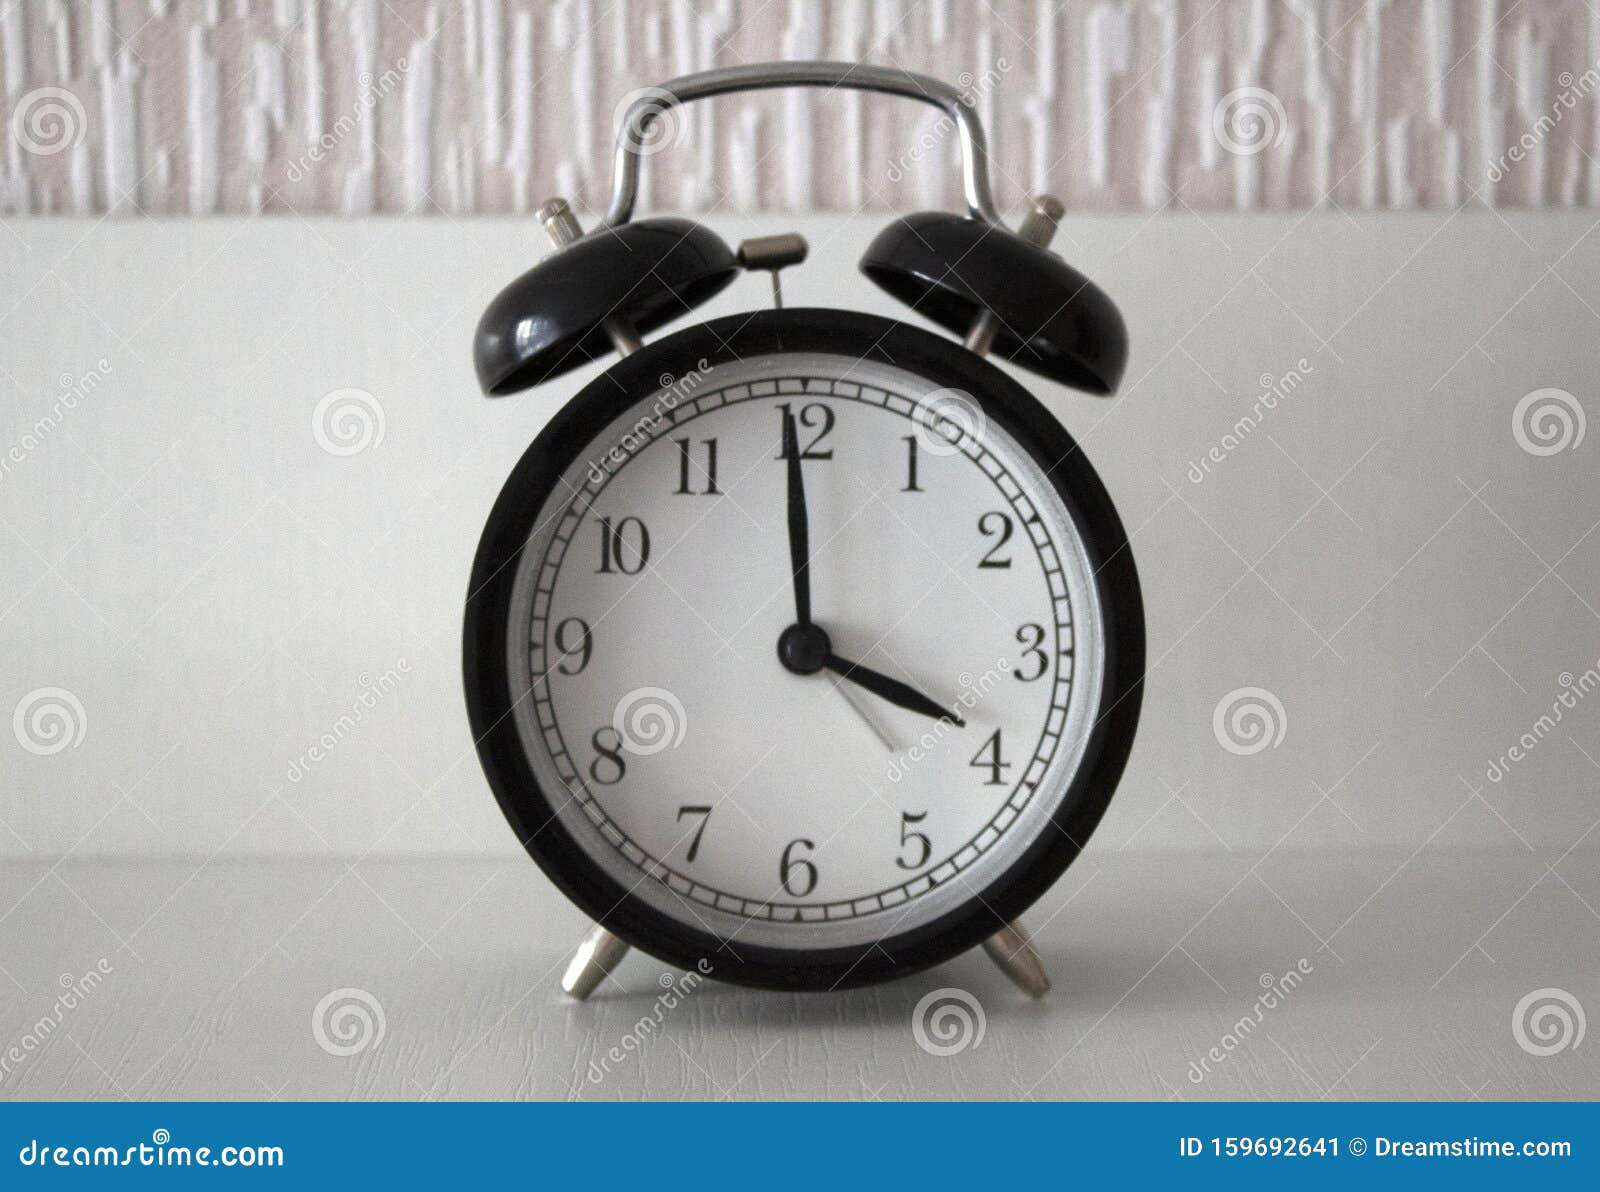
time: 3:59
